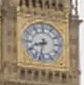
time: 8:32
